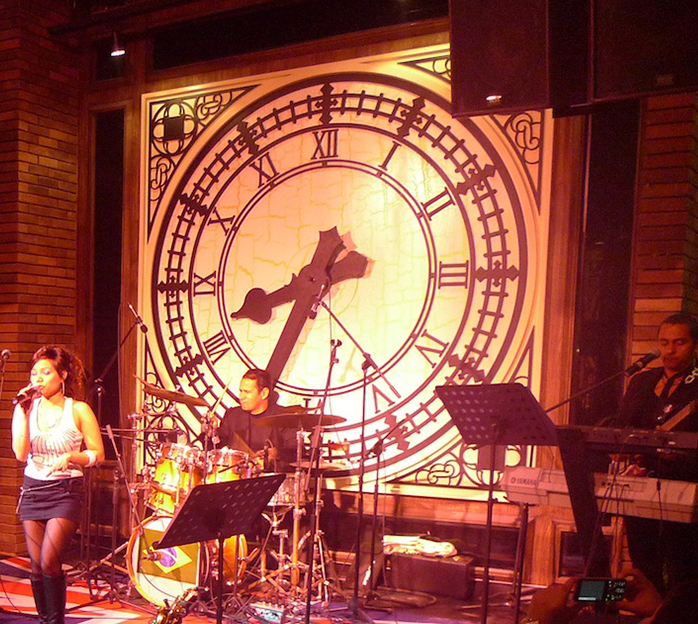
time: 8:34
